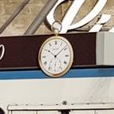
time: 10:08
